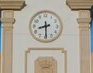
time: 8:29
